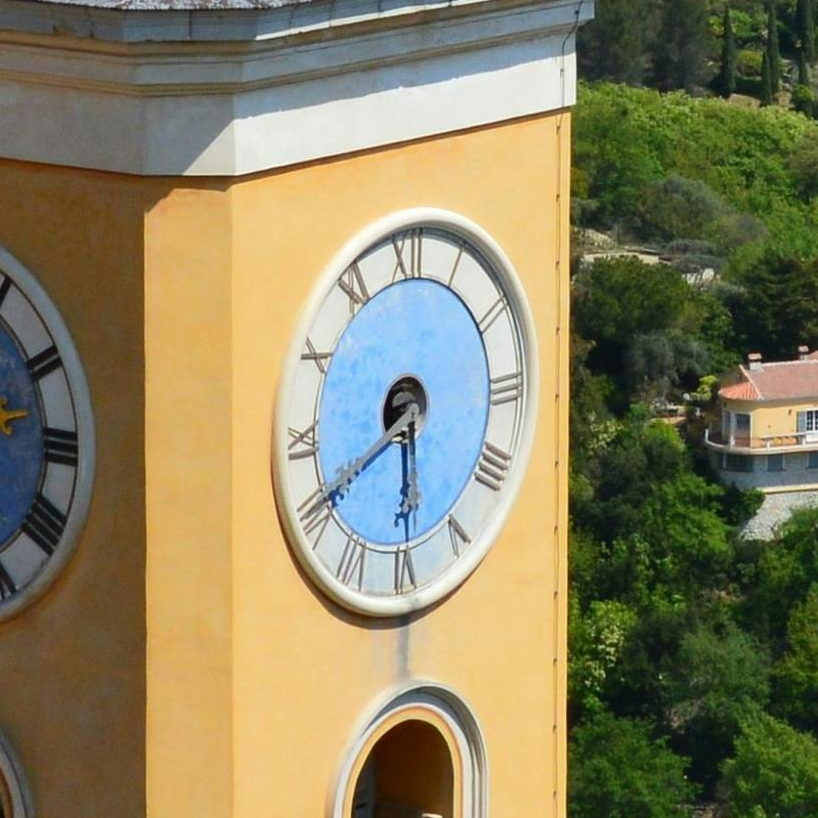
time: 5:40
